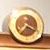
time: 7:19
